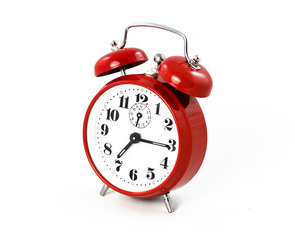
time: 7:15
